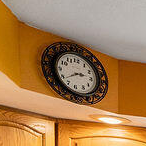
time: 2:38
